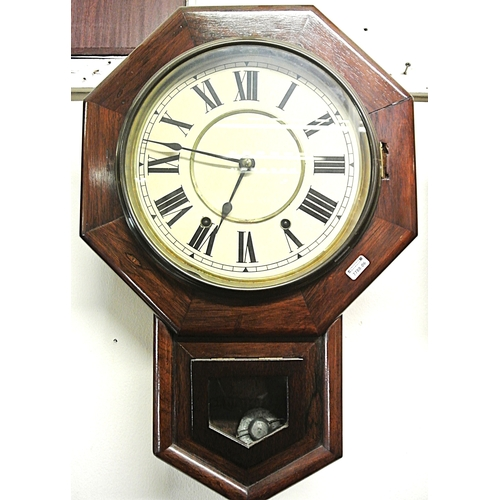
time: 6:47
